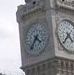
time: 4:35
